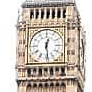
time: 12:28
